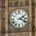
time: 2:18
